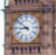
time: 8:51
